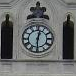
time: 12:30
